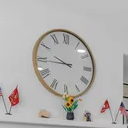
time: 9:44
